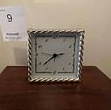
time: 2:38
